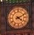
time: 4:10
